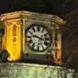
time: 3:47
